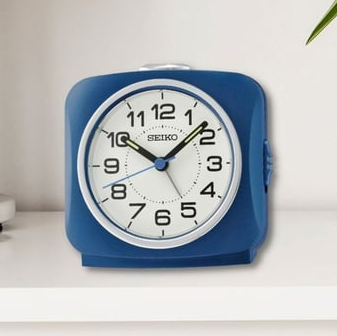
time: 10:07
